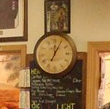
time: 12:04
